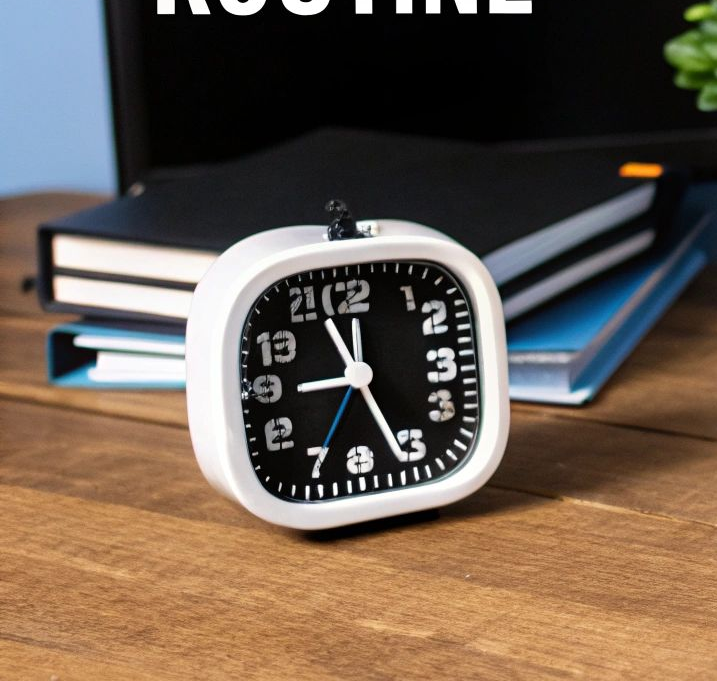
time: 11:26
